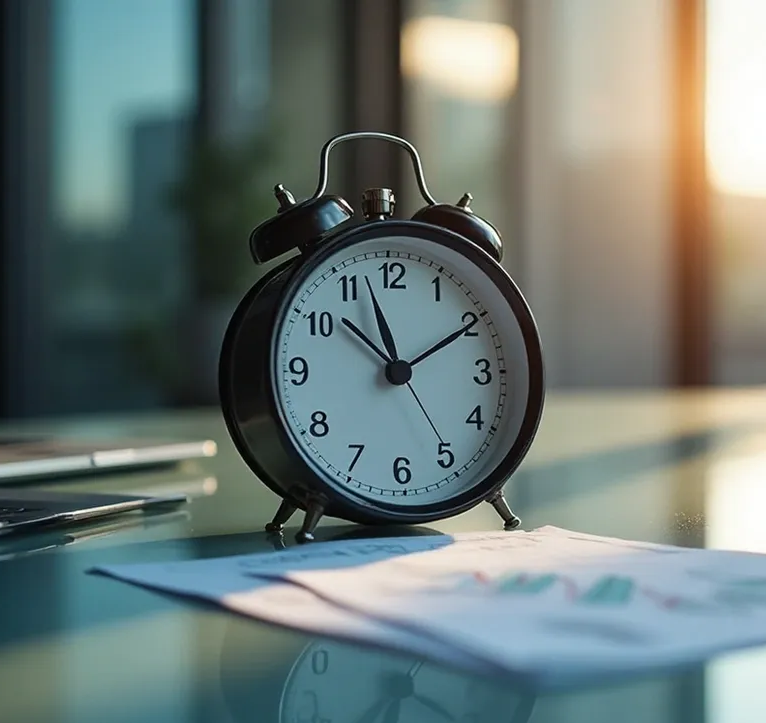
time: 11:10
